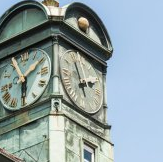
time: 1:56
